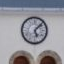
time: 5:07
